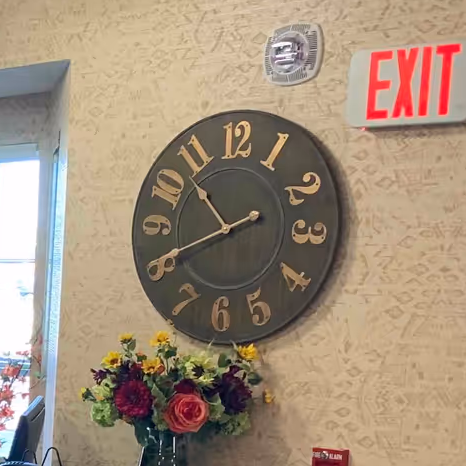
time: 10:40
